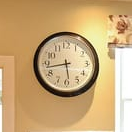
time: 5:43
